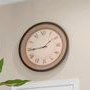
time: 1:44
